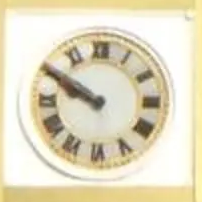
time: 9:50
